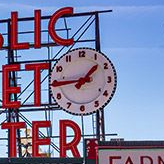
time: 1:44
